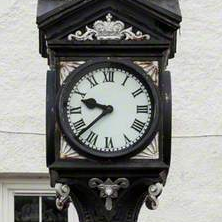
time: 9:38
